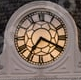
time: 7:19
